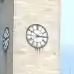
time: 2:50
